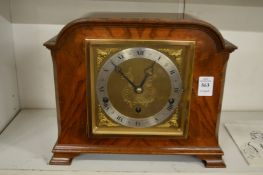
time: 12:52
